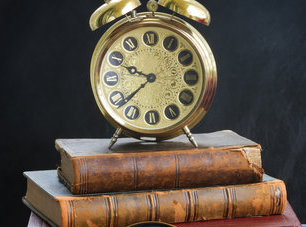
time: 9:38
